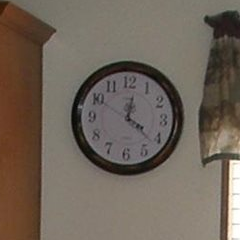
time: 12:21
